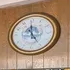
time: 4:59
